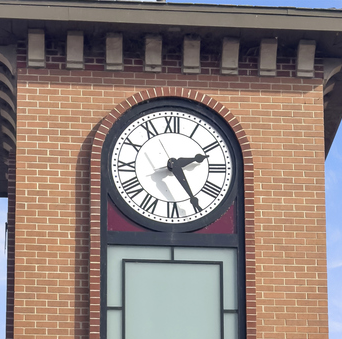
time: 2:24
